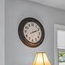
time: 2:11
